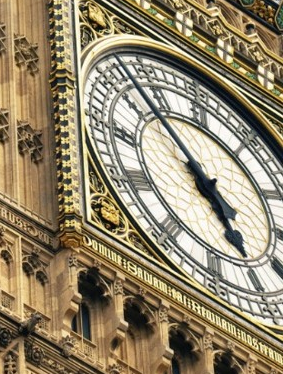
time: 4:52
